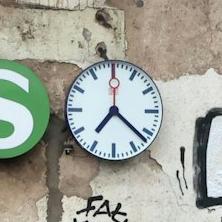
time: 7:21
